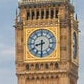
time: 8:30
